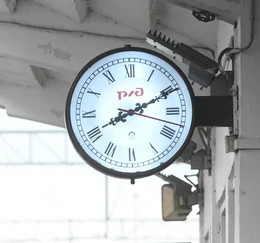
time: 8:10
